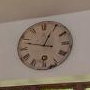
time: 12:47
